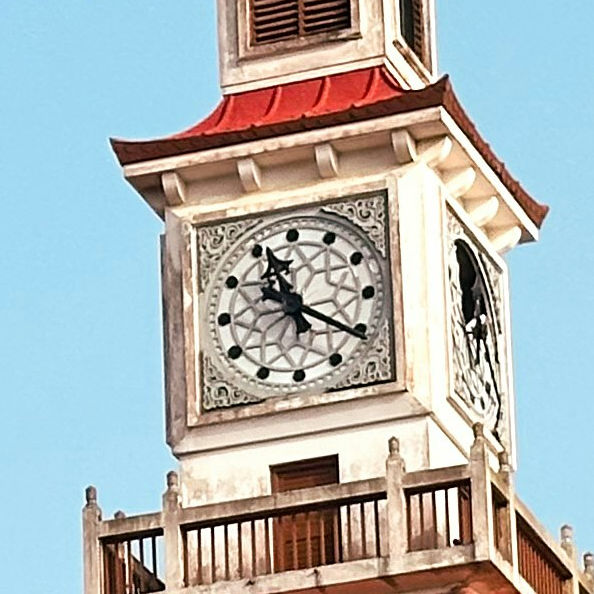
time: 11:20
